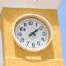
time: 2:09
